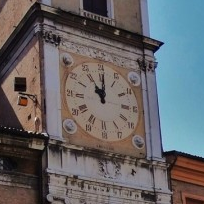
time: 11:00
